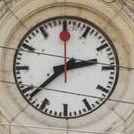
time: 2:38
